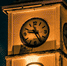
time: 9:25
